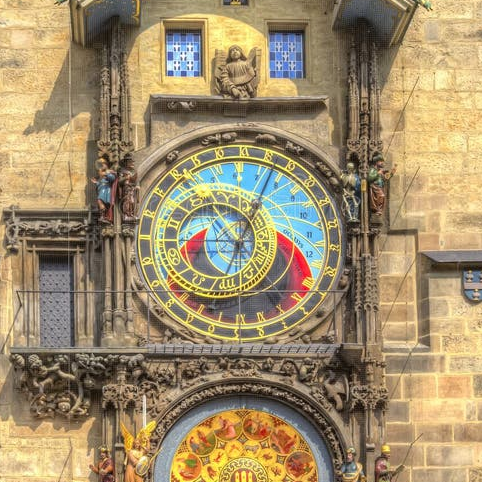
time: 11:04
